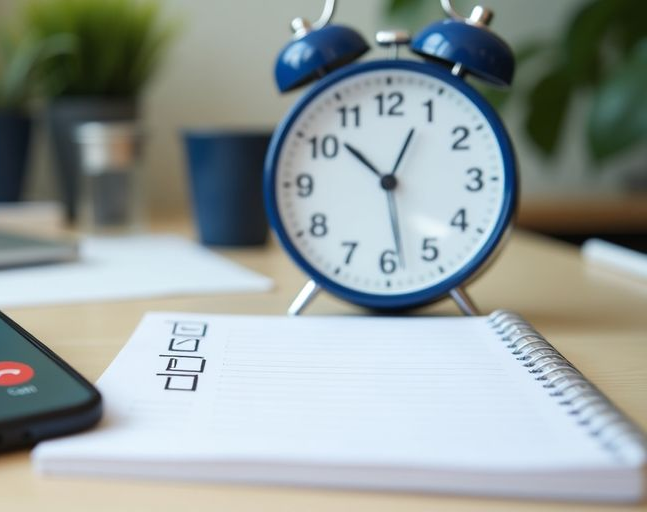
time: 10:28
